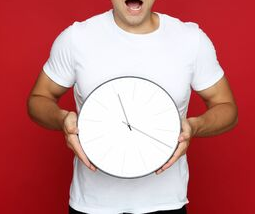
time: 11:18
